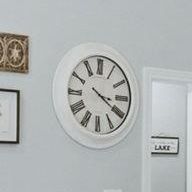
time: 3:20
